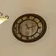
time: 11:12
